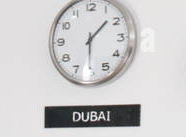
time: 1:30
